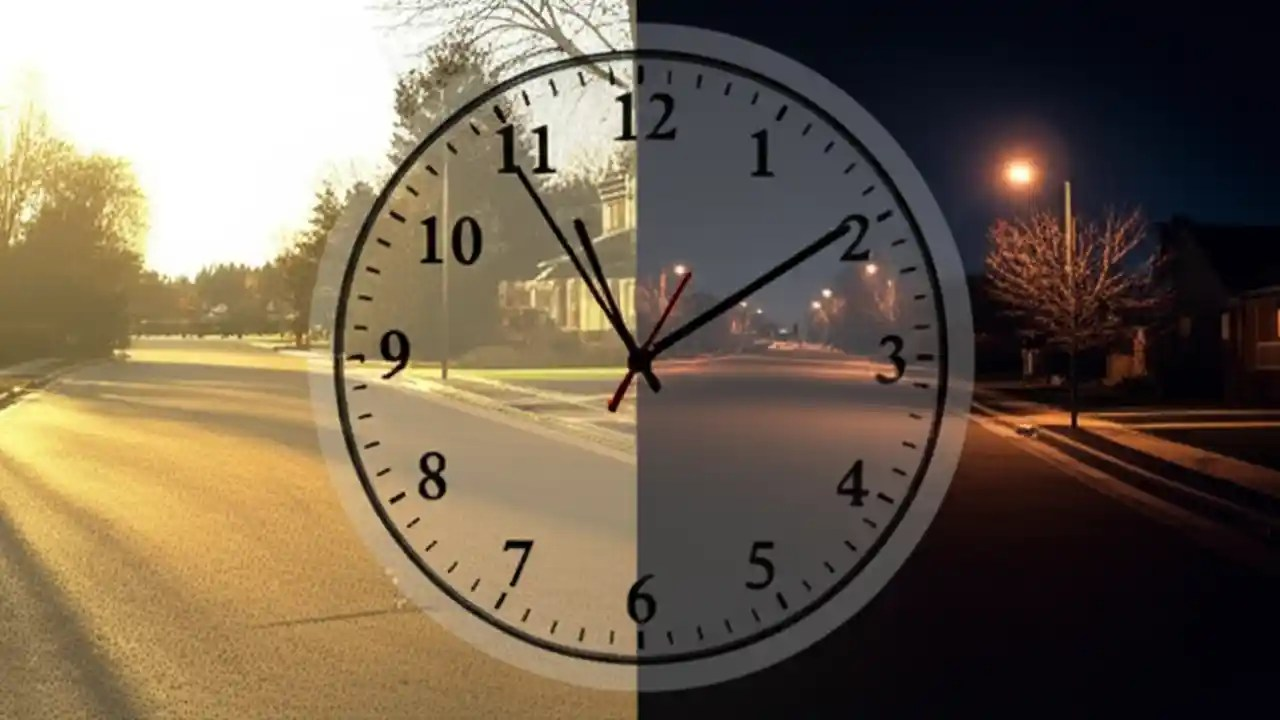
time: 1:54
